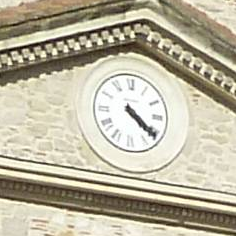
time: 4:21
